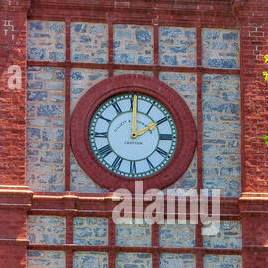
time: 2:00
